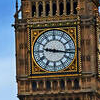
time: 9:16
